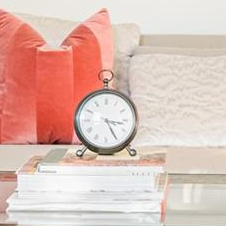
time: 3:25
